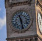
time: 11:28
